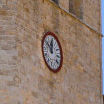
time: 11:50
